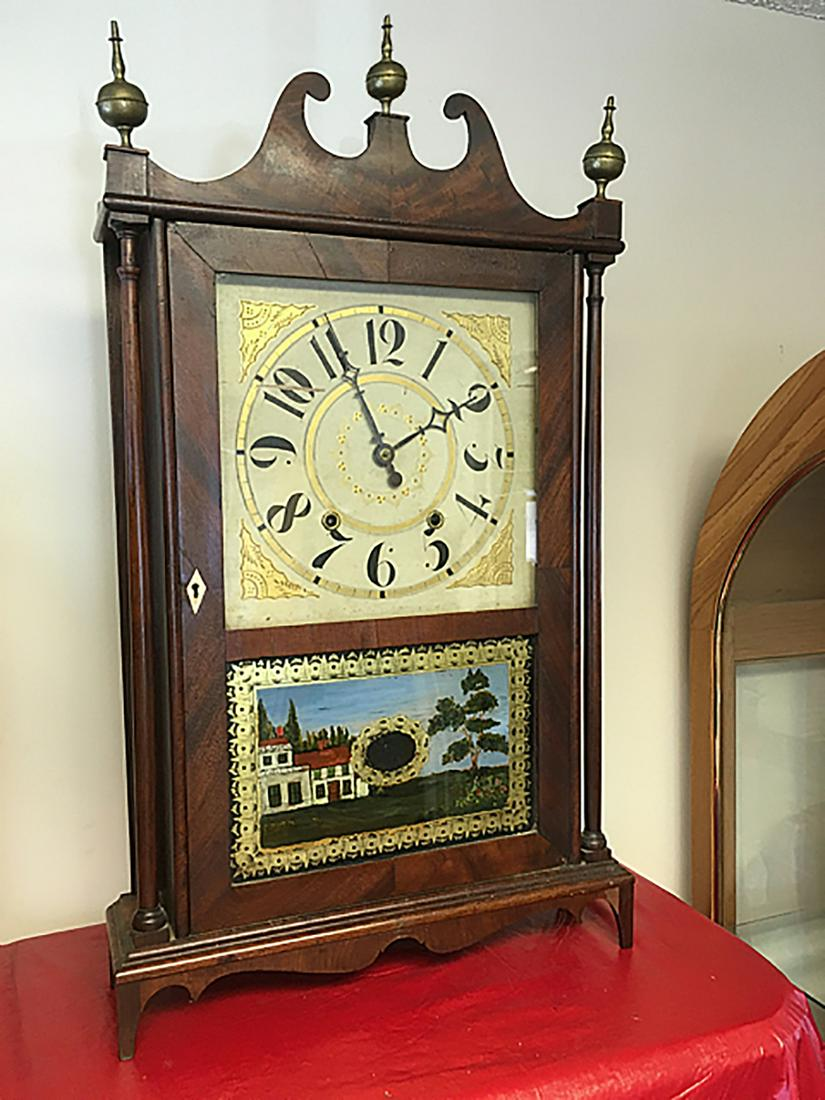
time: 1:56
